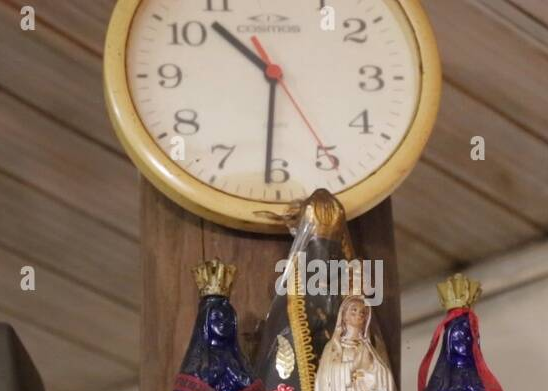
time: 10:30
